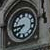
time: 7:44
